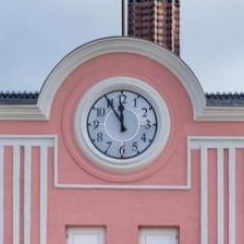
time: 11:54
